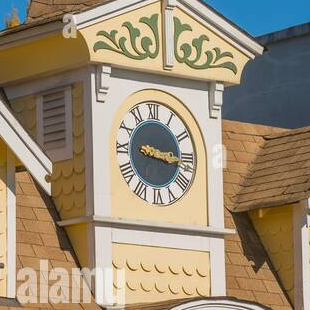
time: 3:16
